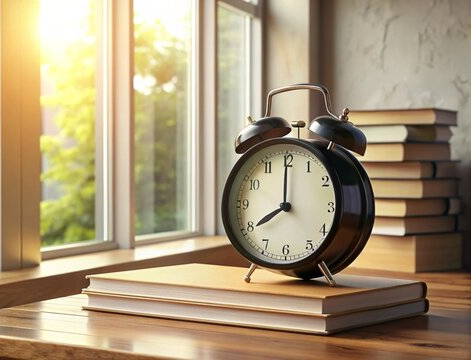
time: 7:59
